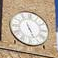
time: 5:26
